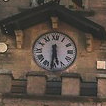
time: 5:31
